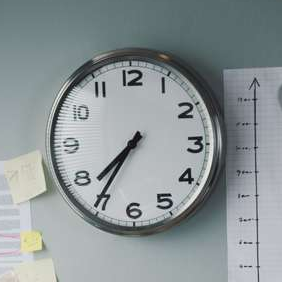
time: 7:35
